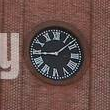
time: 1:44
